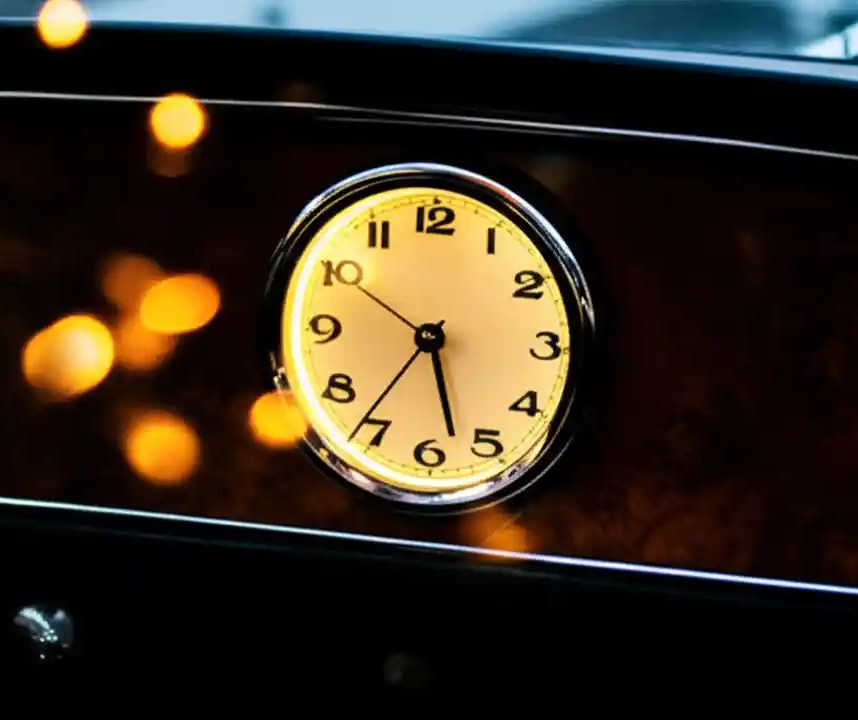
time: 5:36
